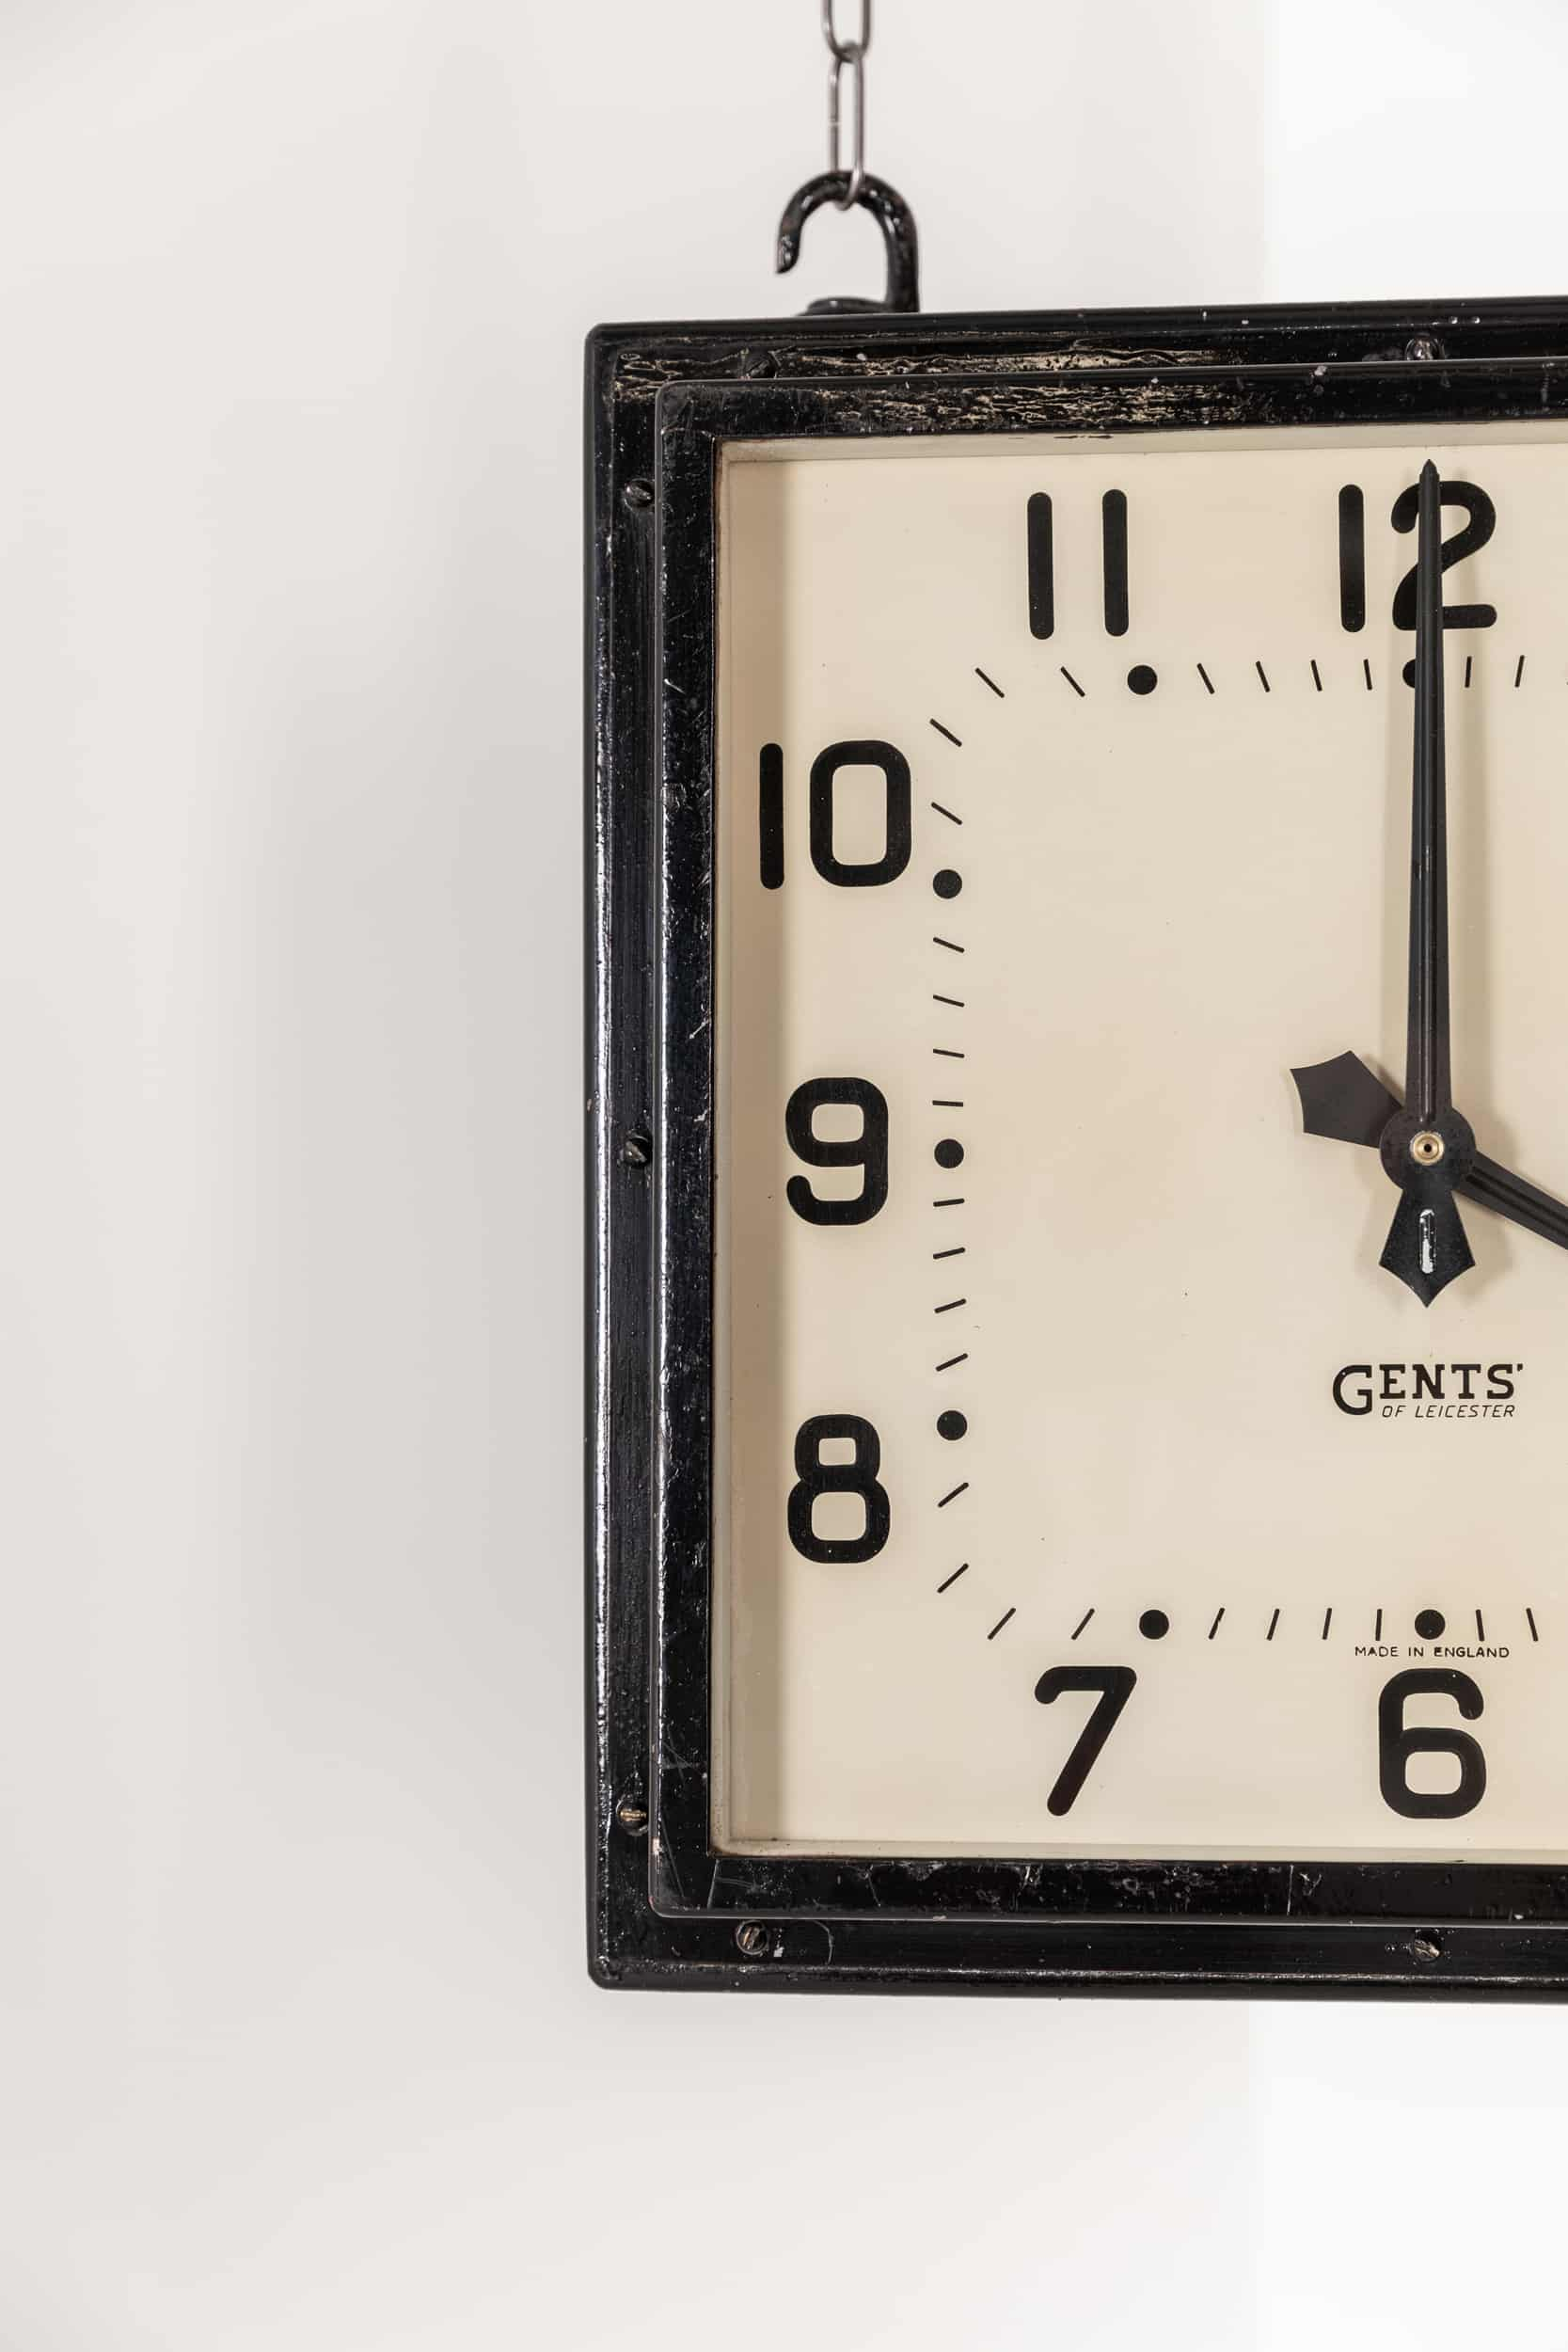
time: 4:01
